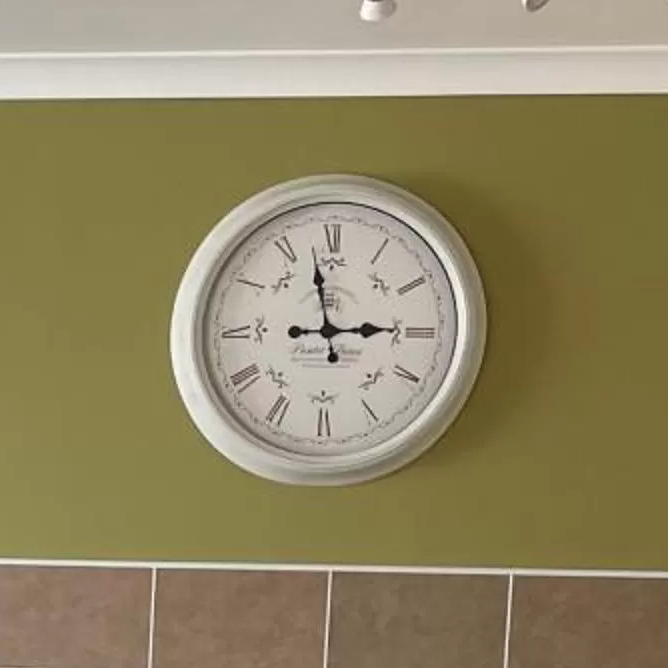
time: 2:57
